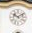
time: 10:10
